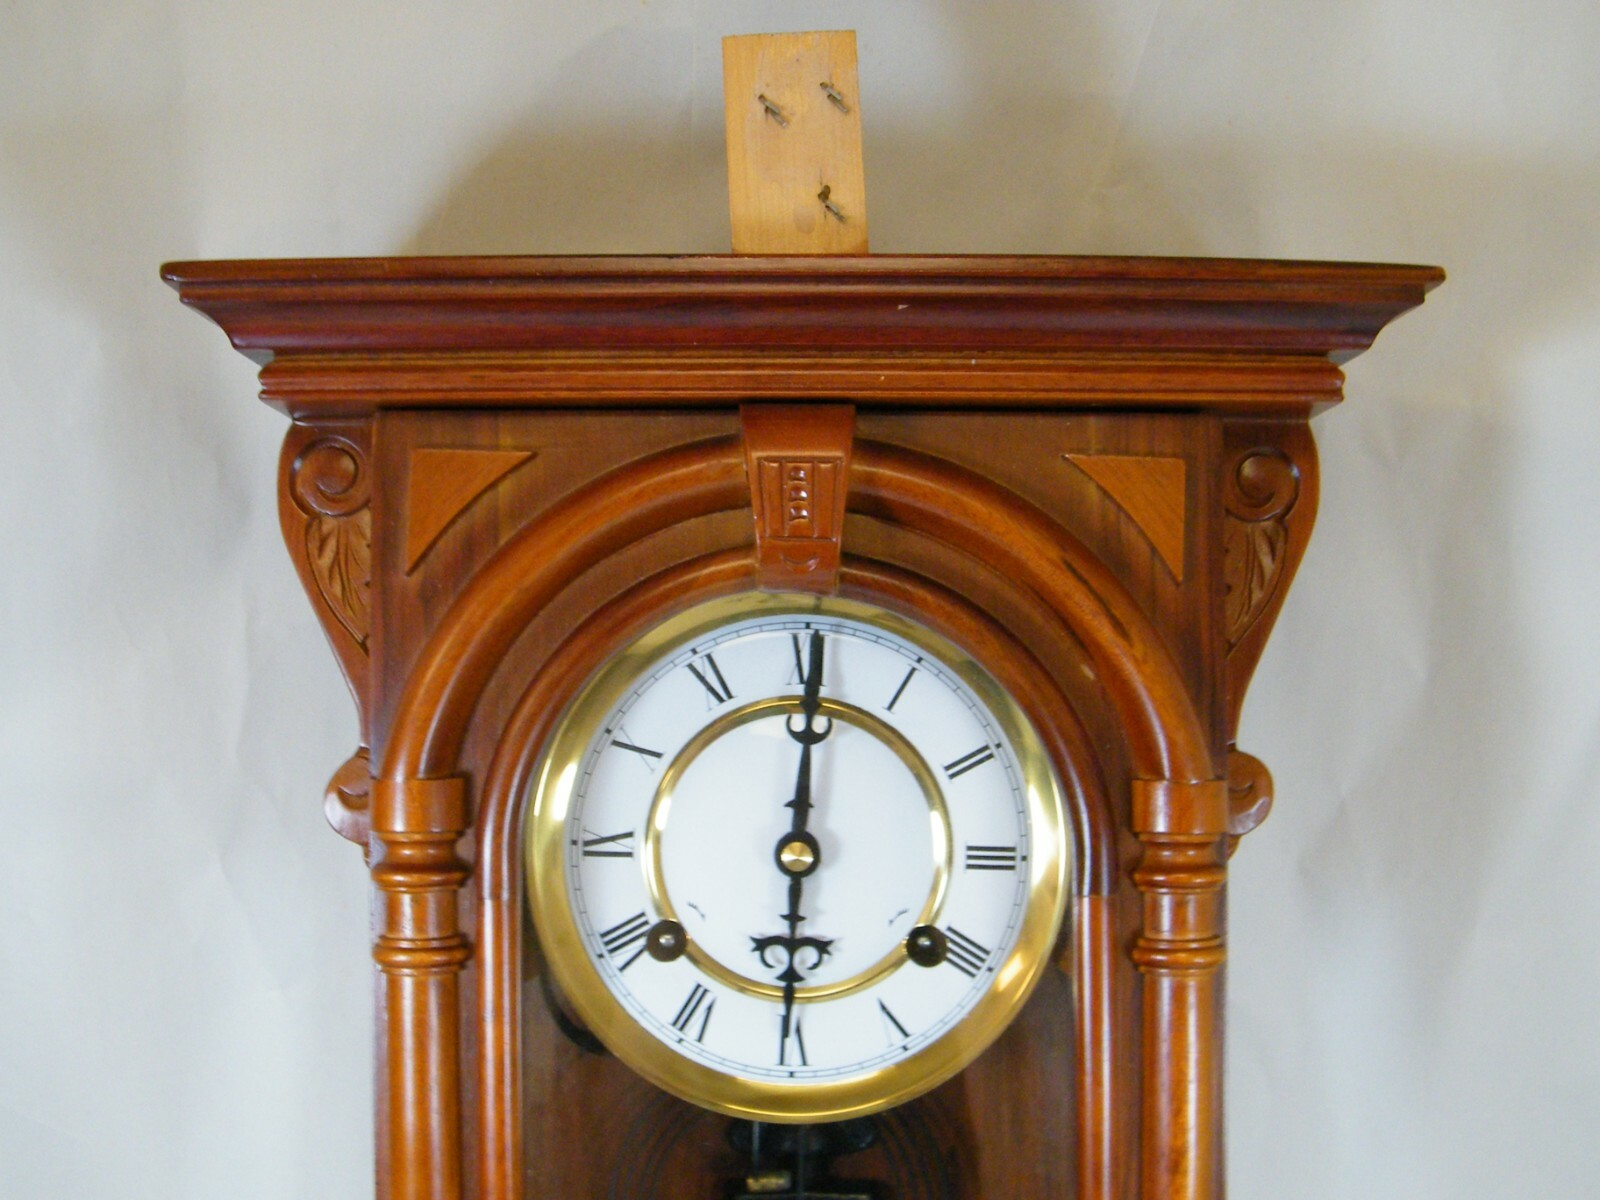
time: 6:00
